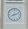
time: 8:11
